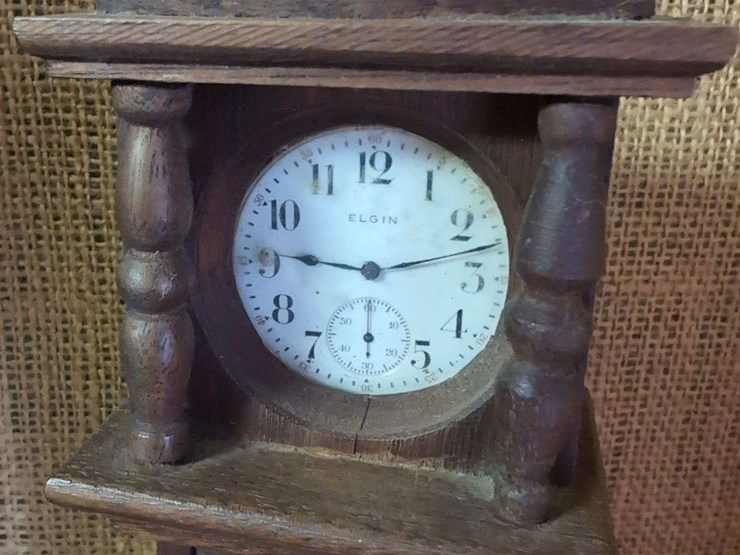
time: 9:12
